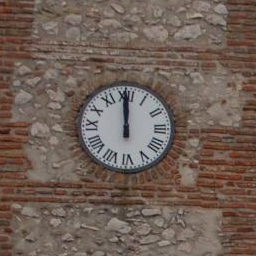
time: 11:59
